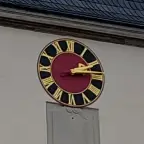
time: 2:13
